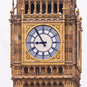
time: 8:54
